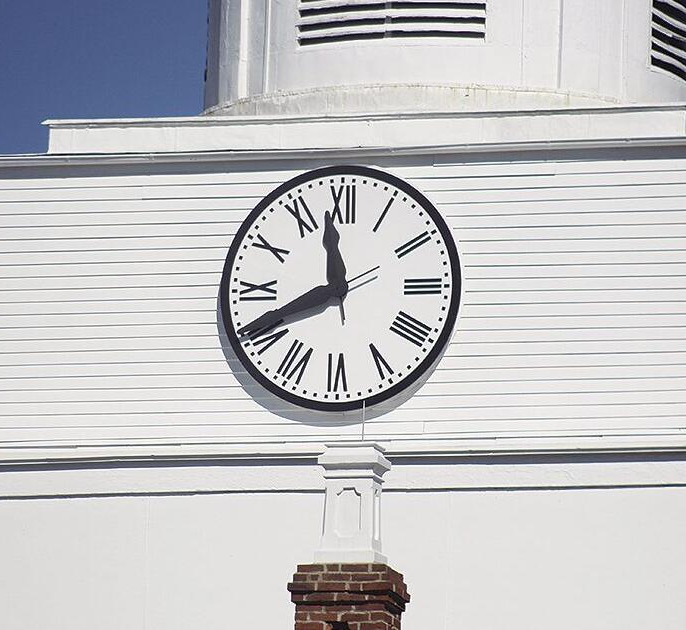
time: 11:40
